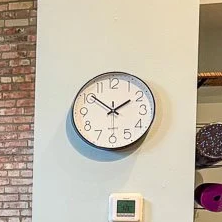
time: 1:51
